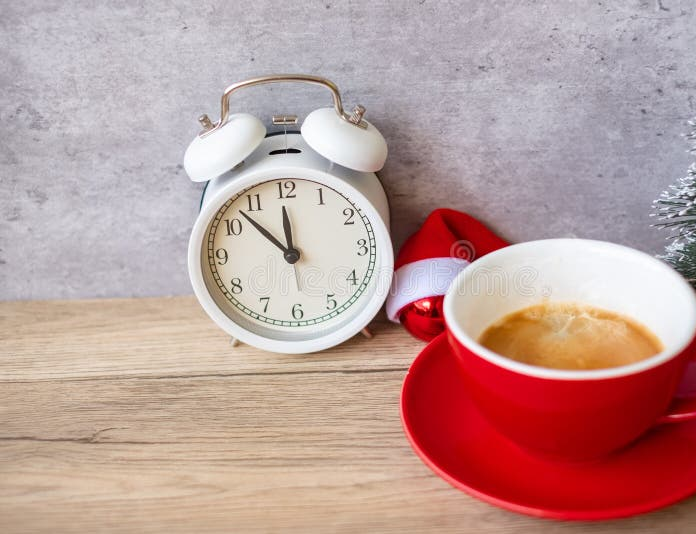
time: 11:52
